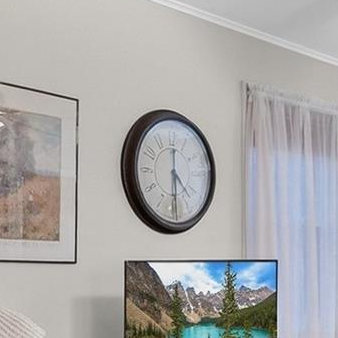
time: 4:29
